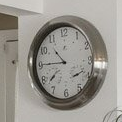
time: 10:45
